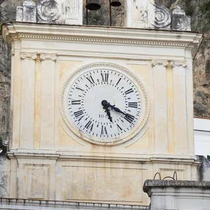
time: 5:19
